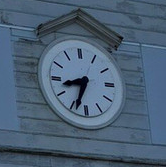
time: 8:33
